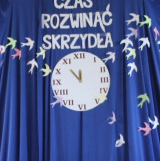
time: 11:53
